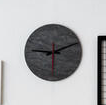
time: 9:10
